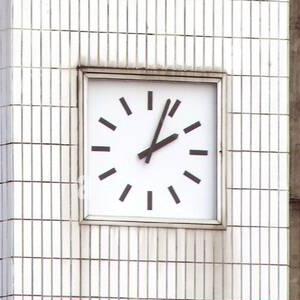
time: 2:03
